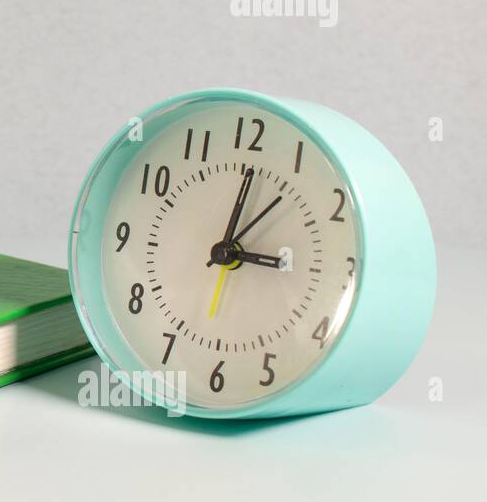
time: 3:01
